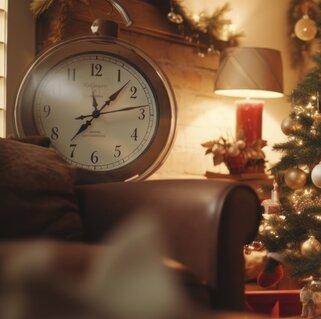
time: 7:07
